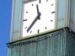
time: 11:37
